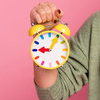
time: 9:05
